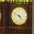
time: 4:49
